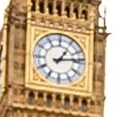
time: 1:13
